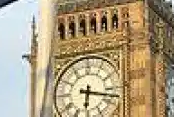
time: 6:17
